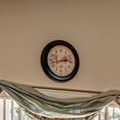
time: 2:42
